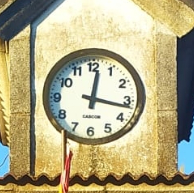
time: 12:16
